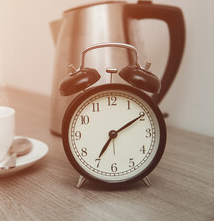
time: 7:09
